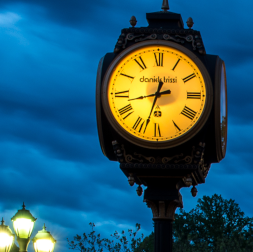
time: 8:33
